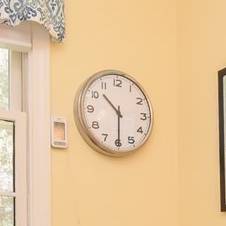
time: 10:30
